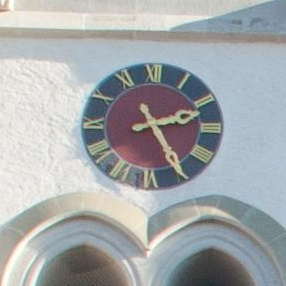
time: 2:24
